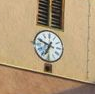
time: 6:48
